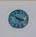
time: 10:17
